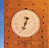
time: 12:33
